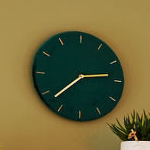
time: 2:37
